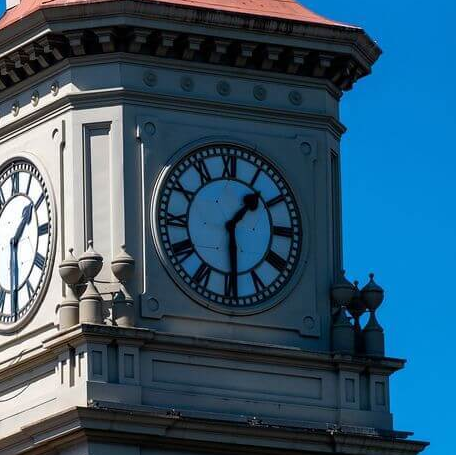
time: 1:29
